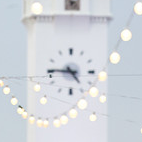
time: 4:45
